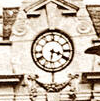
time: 3:31
